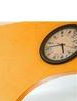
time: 5:46
